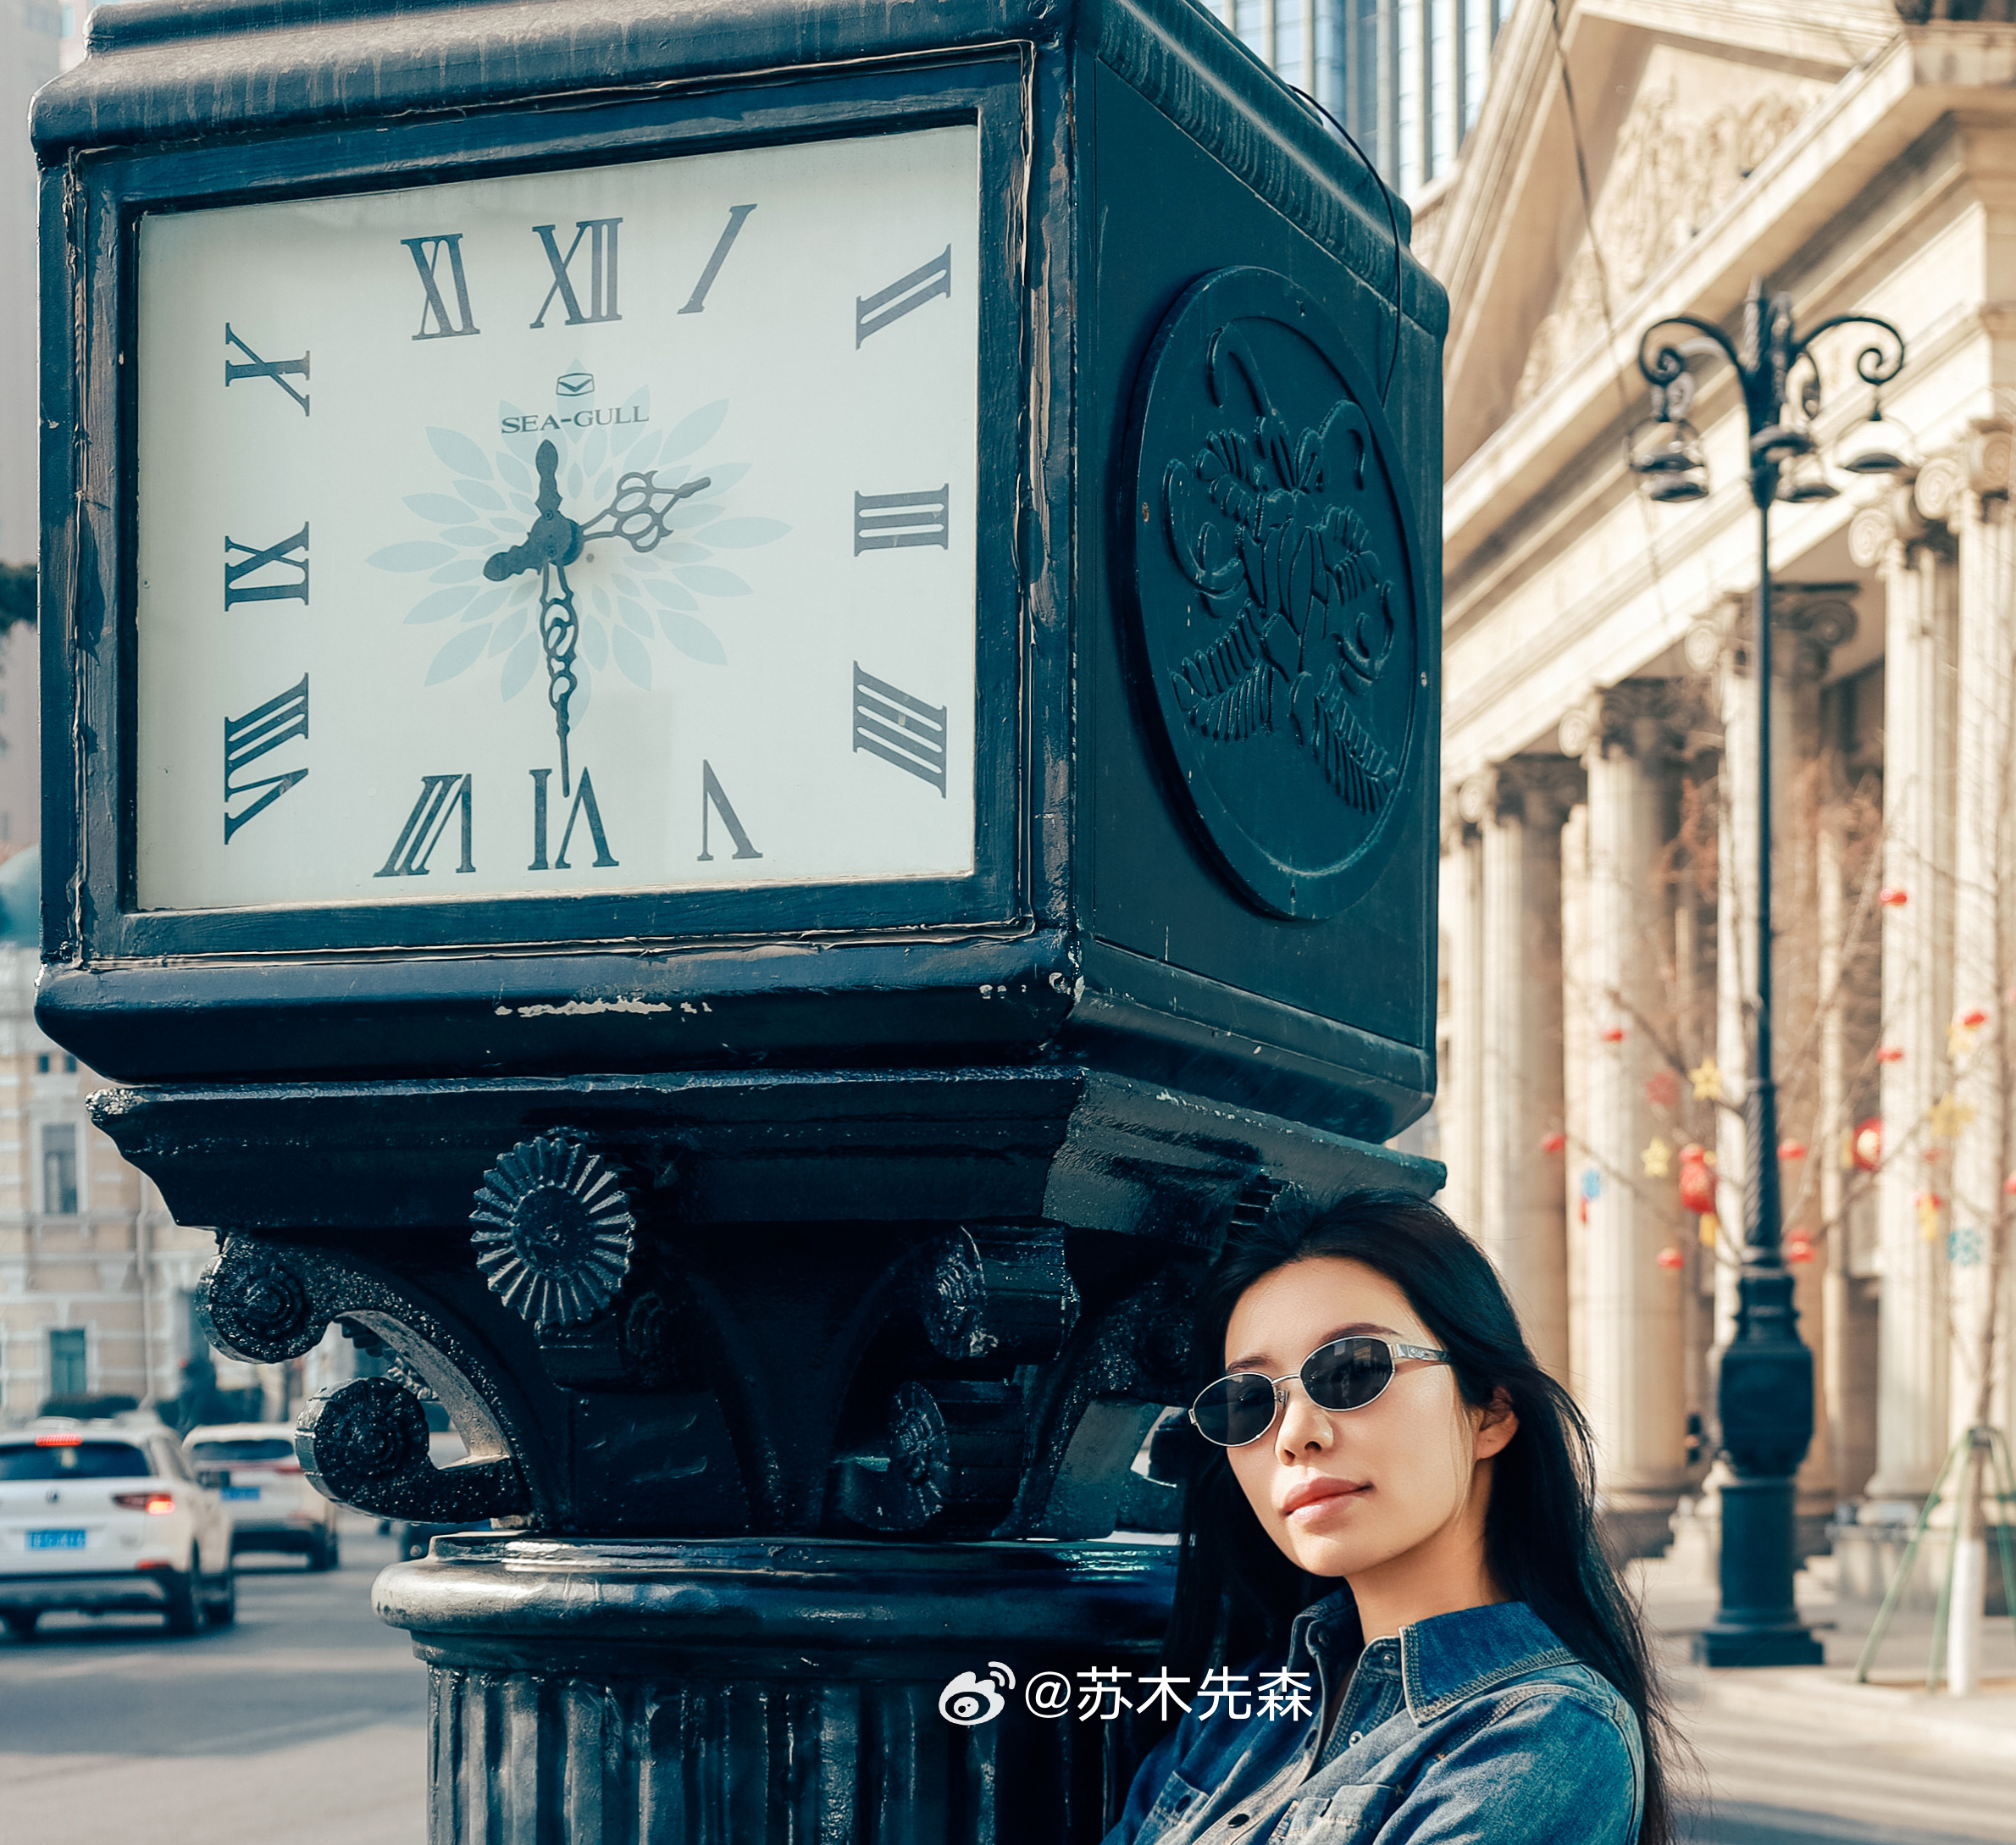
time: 8:30
